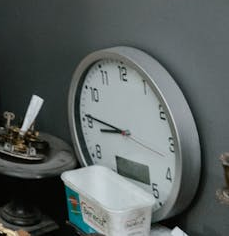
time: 8:46
